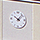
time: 10:07
